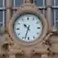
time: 10:33
